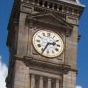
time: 2:34
